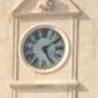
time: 5:09
